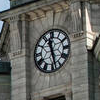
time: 11:27
